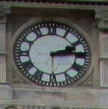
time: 2:14
